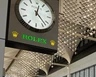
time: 12:22
